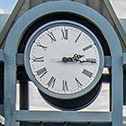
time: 2:14
